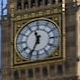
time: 11:34
